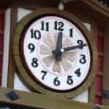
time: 12:10
